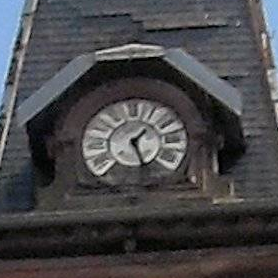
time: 1:26
